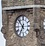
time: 6:52
